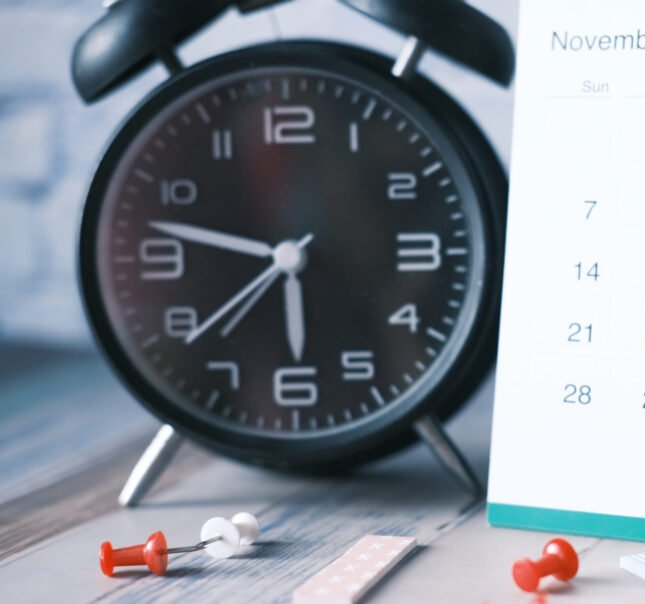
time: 5:47
